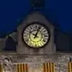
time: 10:03
